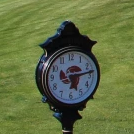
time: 5:13
